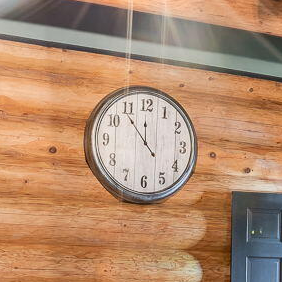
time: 11:53
